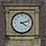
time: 4:12
